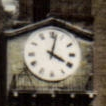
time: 4:02
